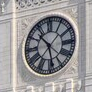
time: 10:28
